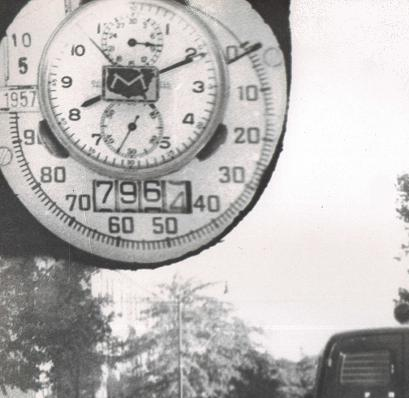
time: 8:10
